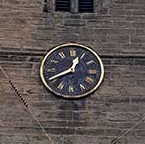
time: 12:40
